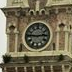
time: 2:46
